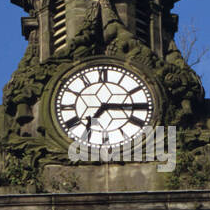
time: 7:15
